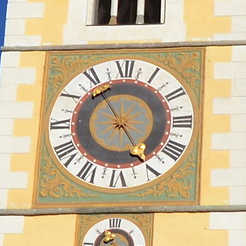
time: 4:54
